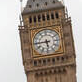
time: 5:44
